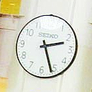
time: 2:26
